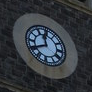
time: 11:40
